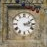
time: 2:18
